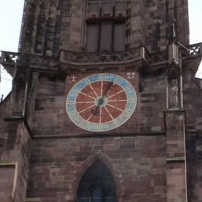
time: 7:04
